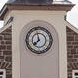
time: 7:57
